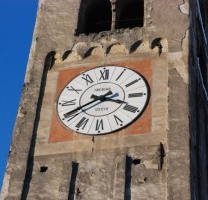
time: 3:40
